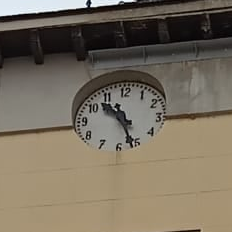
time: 10:26
